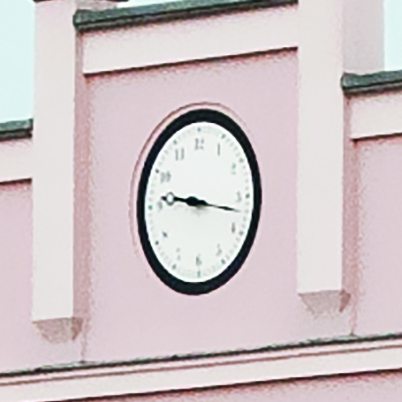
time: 9:17
